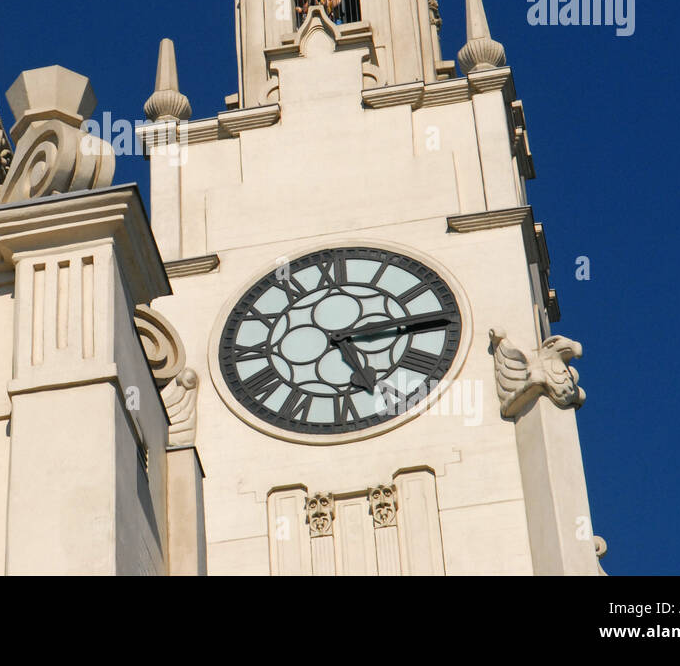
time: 5:14
